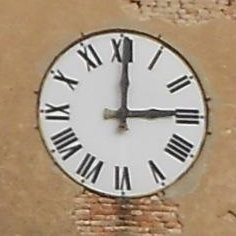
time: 3:00
